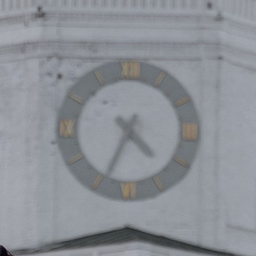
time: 4:34
